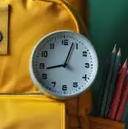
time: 12:43
